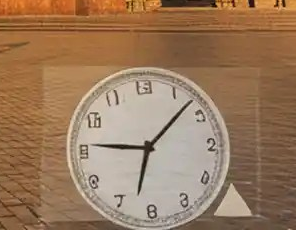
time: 9:07
